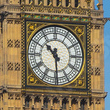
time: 10:29
